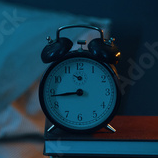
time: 8:43
